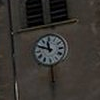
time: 11:48
